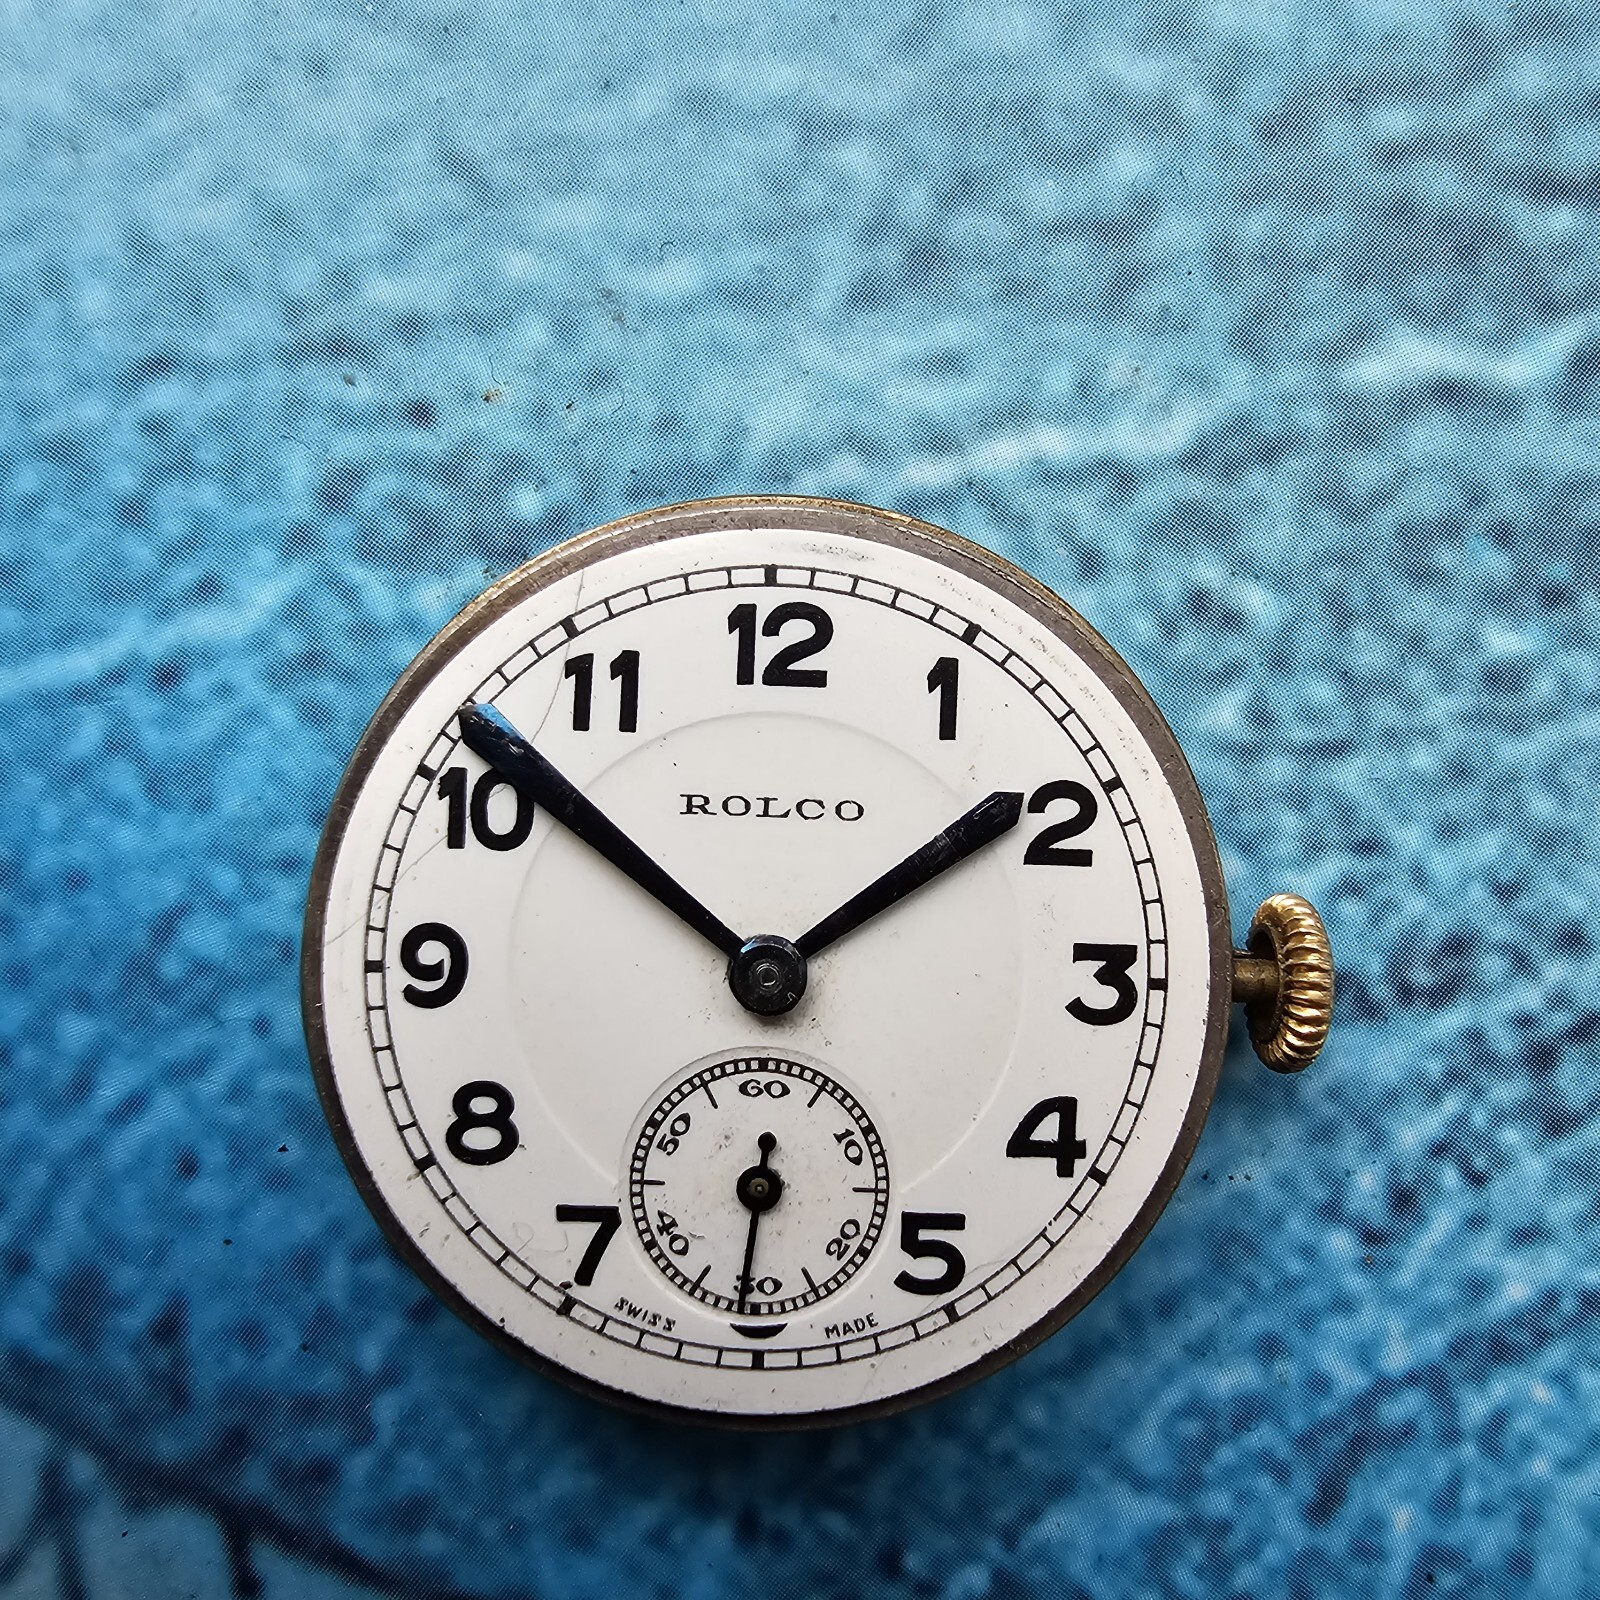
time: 1:51
